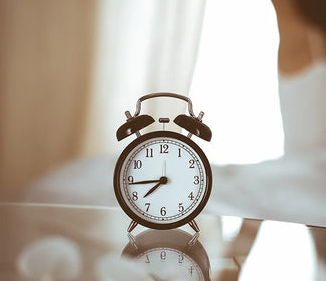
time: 7:43
